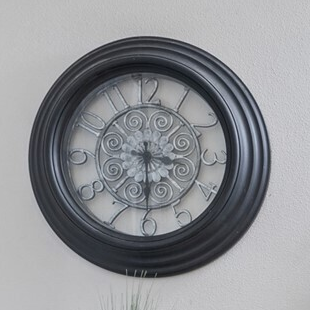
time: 3:29
